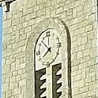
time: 7:52
